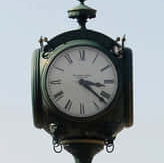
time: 3:21
